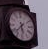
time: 5:37
